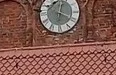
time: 12:19
